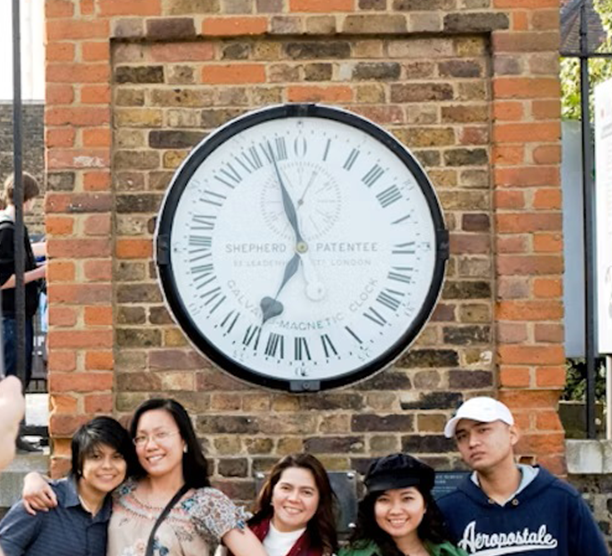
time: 6:56
